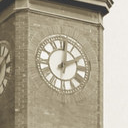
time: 2:01
